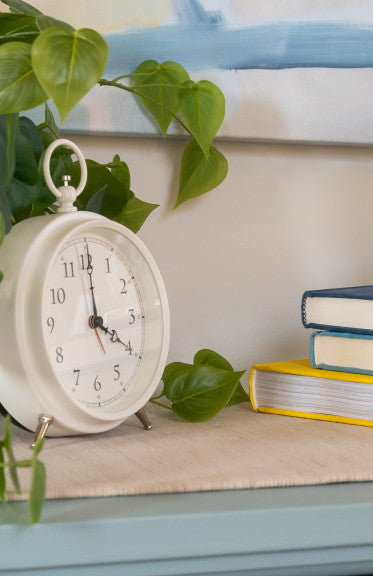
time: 4:00
